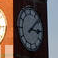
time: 3:08
